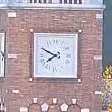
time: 7:49
